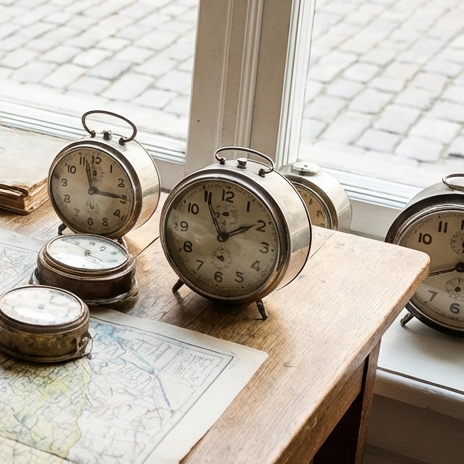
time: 1:55
